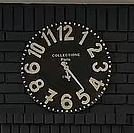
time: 5:23
